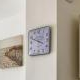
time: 3:48
